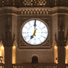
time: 7:00
